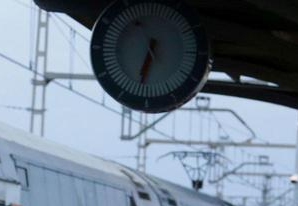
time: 6:32
